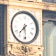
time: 7:28
